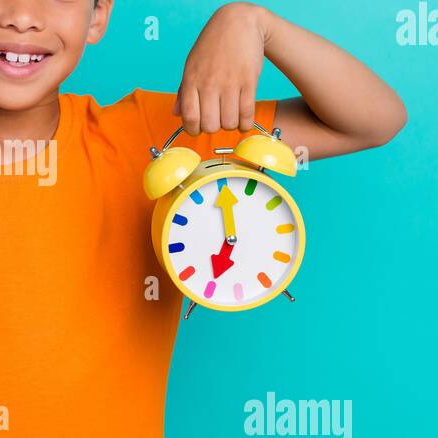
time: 7:00
